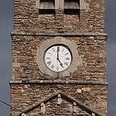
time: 4:59
